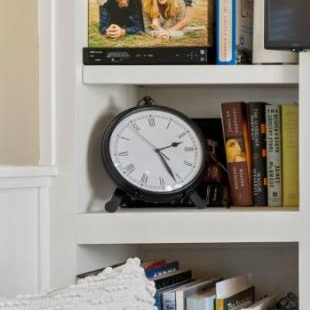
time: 2:26
